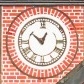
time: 12:52
